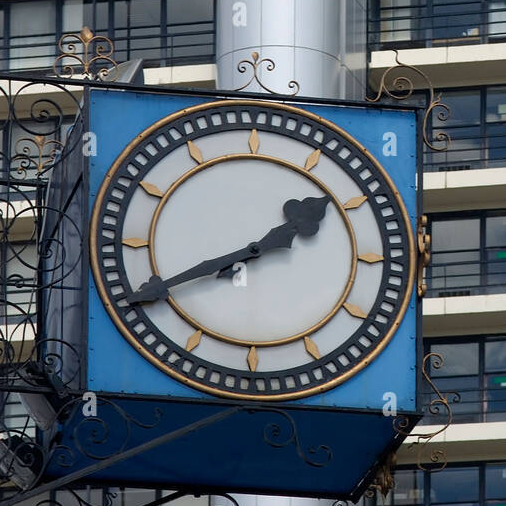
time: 1:40
